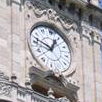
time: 12:47
